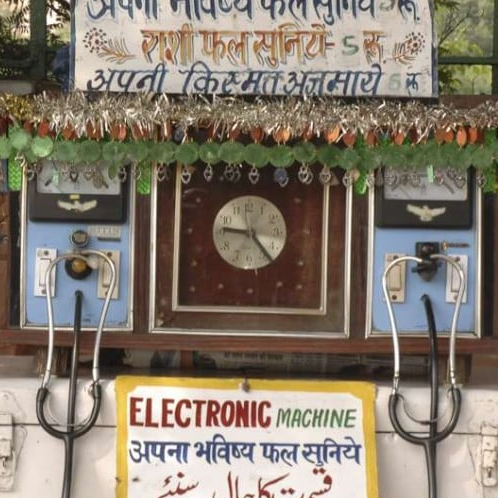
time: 9:22
